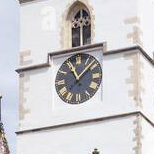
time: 11:07
